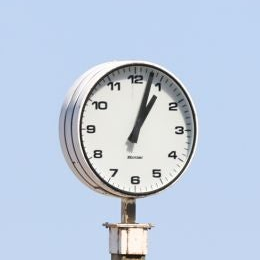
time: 1:03
